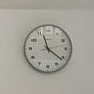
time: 11:21
